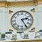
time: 2:24
